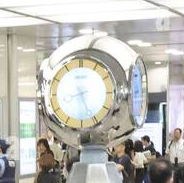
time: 8:26
